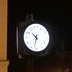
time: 10:32
